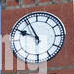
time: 9:55
